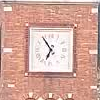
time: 6:54
